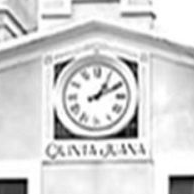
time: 1:10
